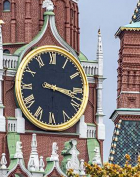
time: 3:17
